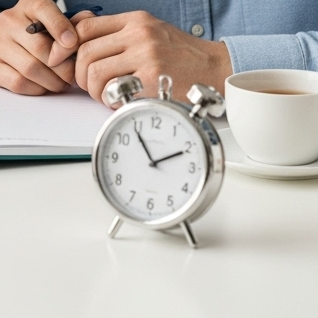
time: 1:54
